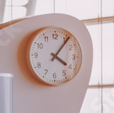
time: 4:06
